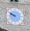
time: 9:50
